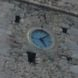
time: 5:08
